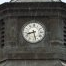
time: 8:27
